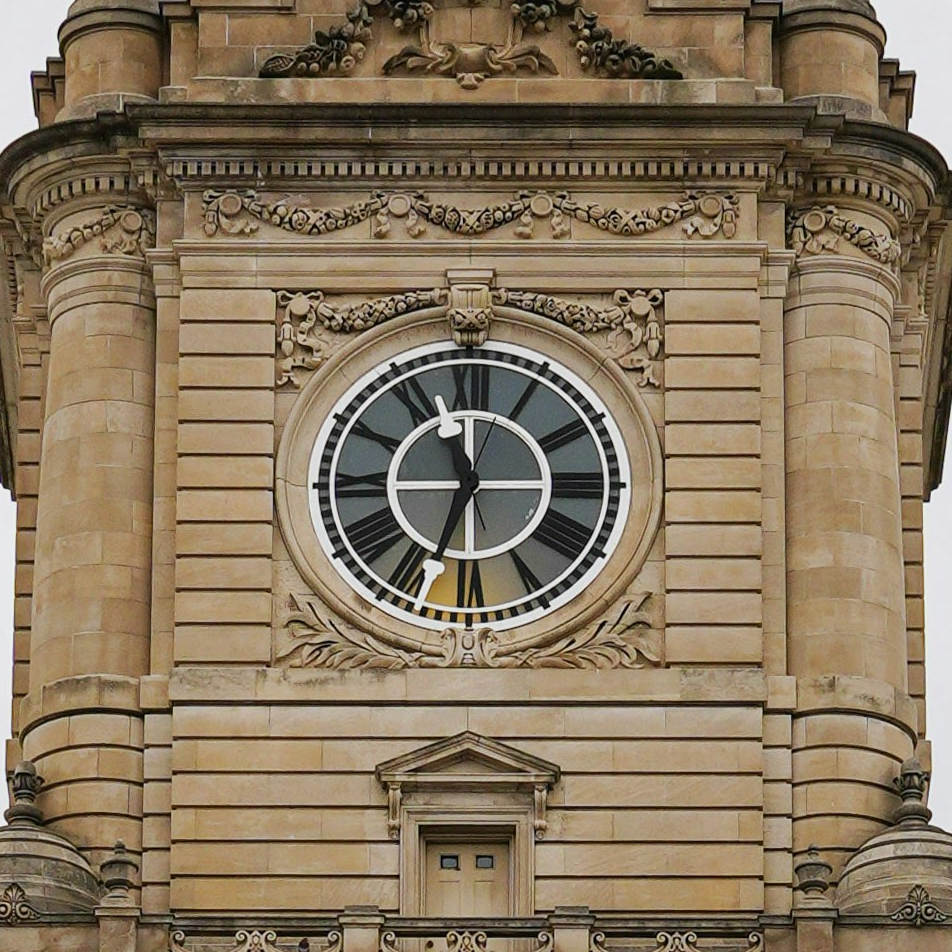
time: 11:33
